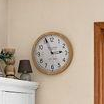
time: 2:56
